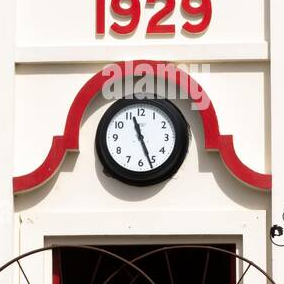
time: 11:26
